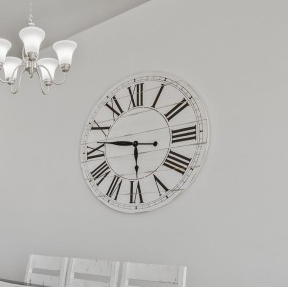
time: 5:46
